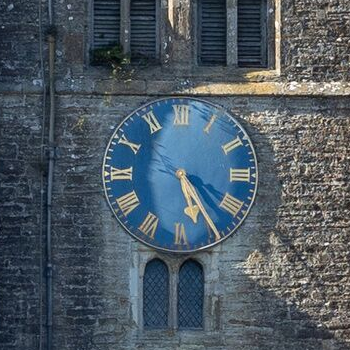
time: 5:24
